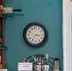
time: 3:35
